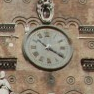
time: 10:20
